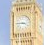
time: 3:44
